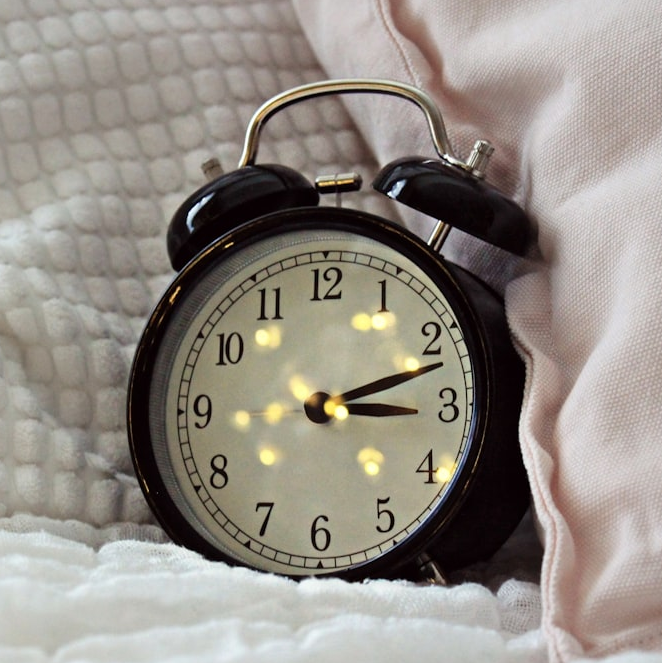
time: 3:11
